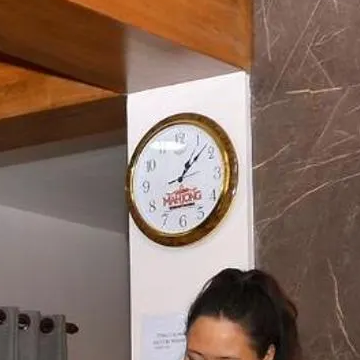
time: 1:07
